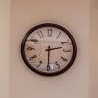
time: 2:30
